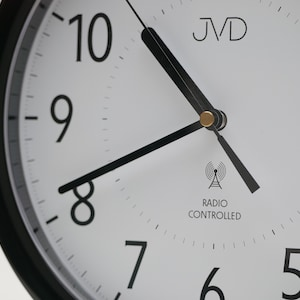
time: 10:41
